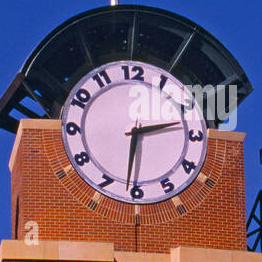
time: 2:31
